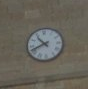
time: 10:41
